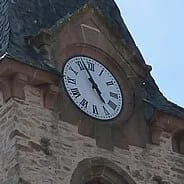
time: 4:56
